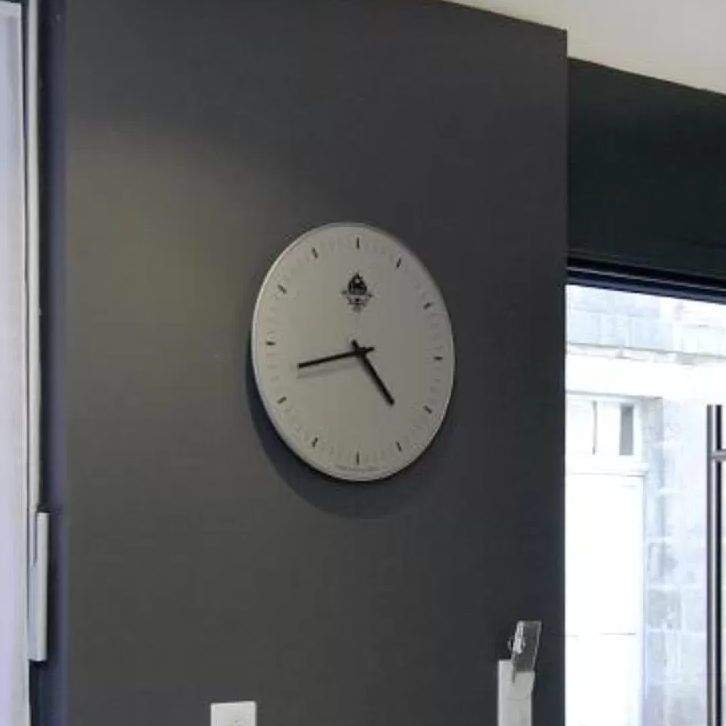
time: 4:42
